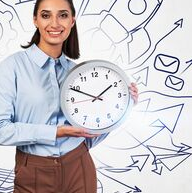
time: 1:49
